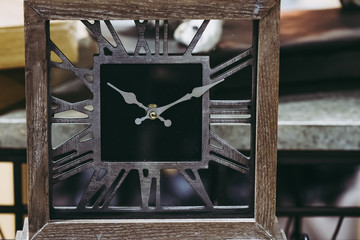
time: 10:10
